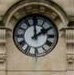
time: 1:59
